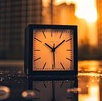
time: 10:08
